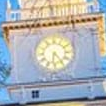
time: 6:23
